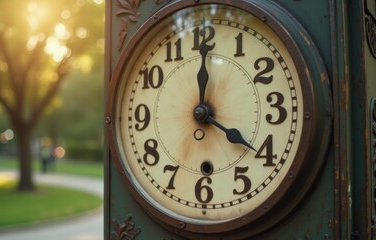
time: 4:00
